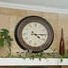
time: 4:14
